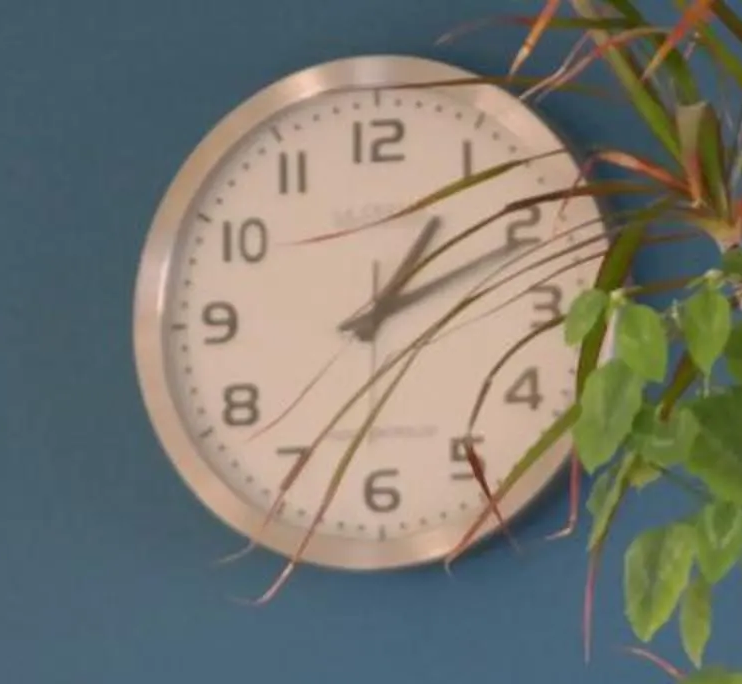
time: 1:11
